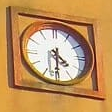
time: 4:30
